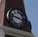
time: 3:47
